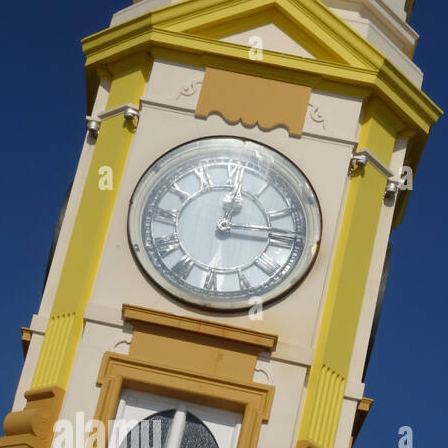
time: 12:14
